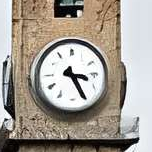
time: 3:25
